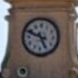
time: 4:48
